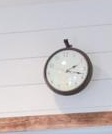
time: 2:18
